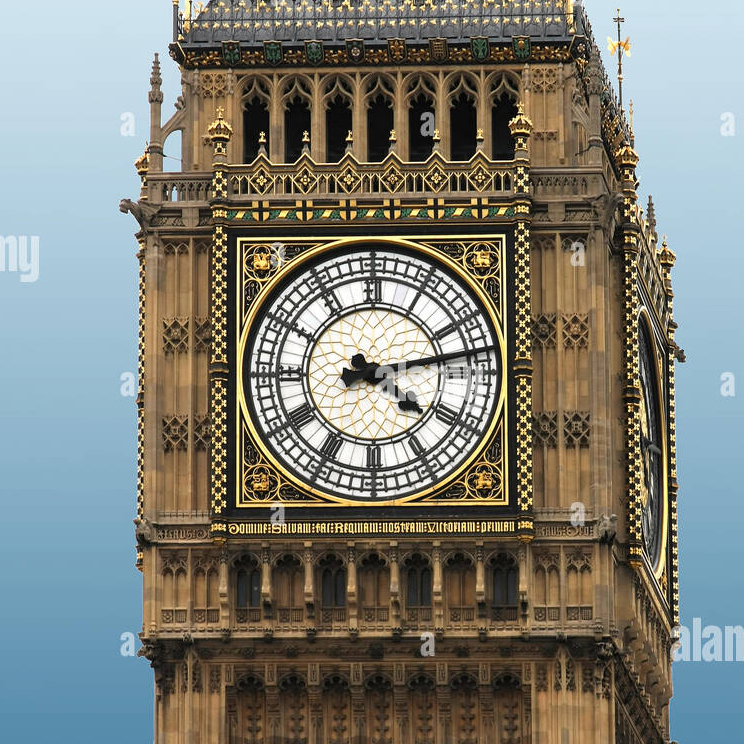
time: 4:13
